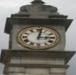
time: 3:01
